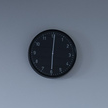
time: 6:00
